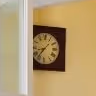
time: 8:37
